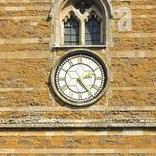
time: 2:24
